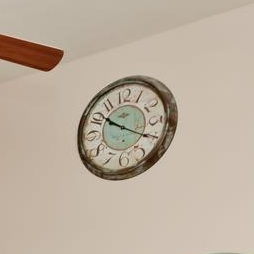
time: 10:20
